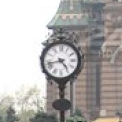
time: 4:42
